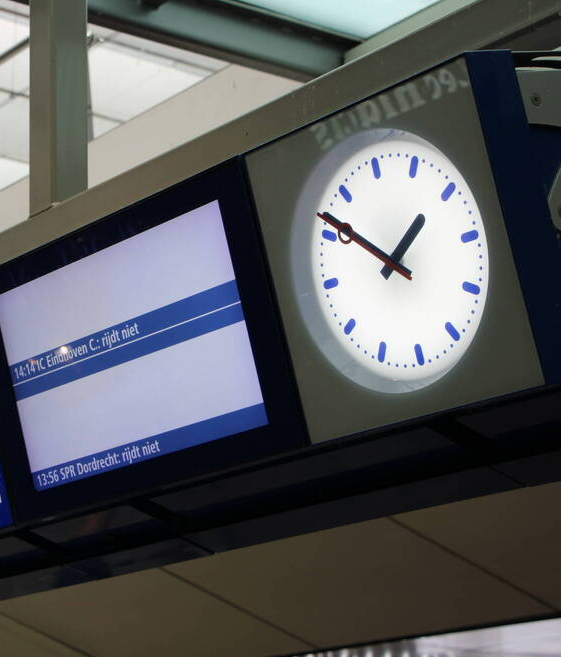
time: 1:51
